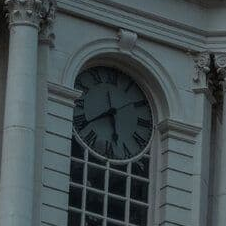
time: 5:38
